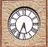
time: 5:34
